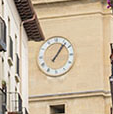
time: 1:06
